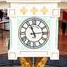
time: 11:13
